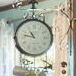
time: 10:47
